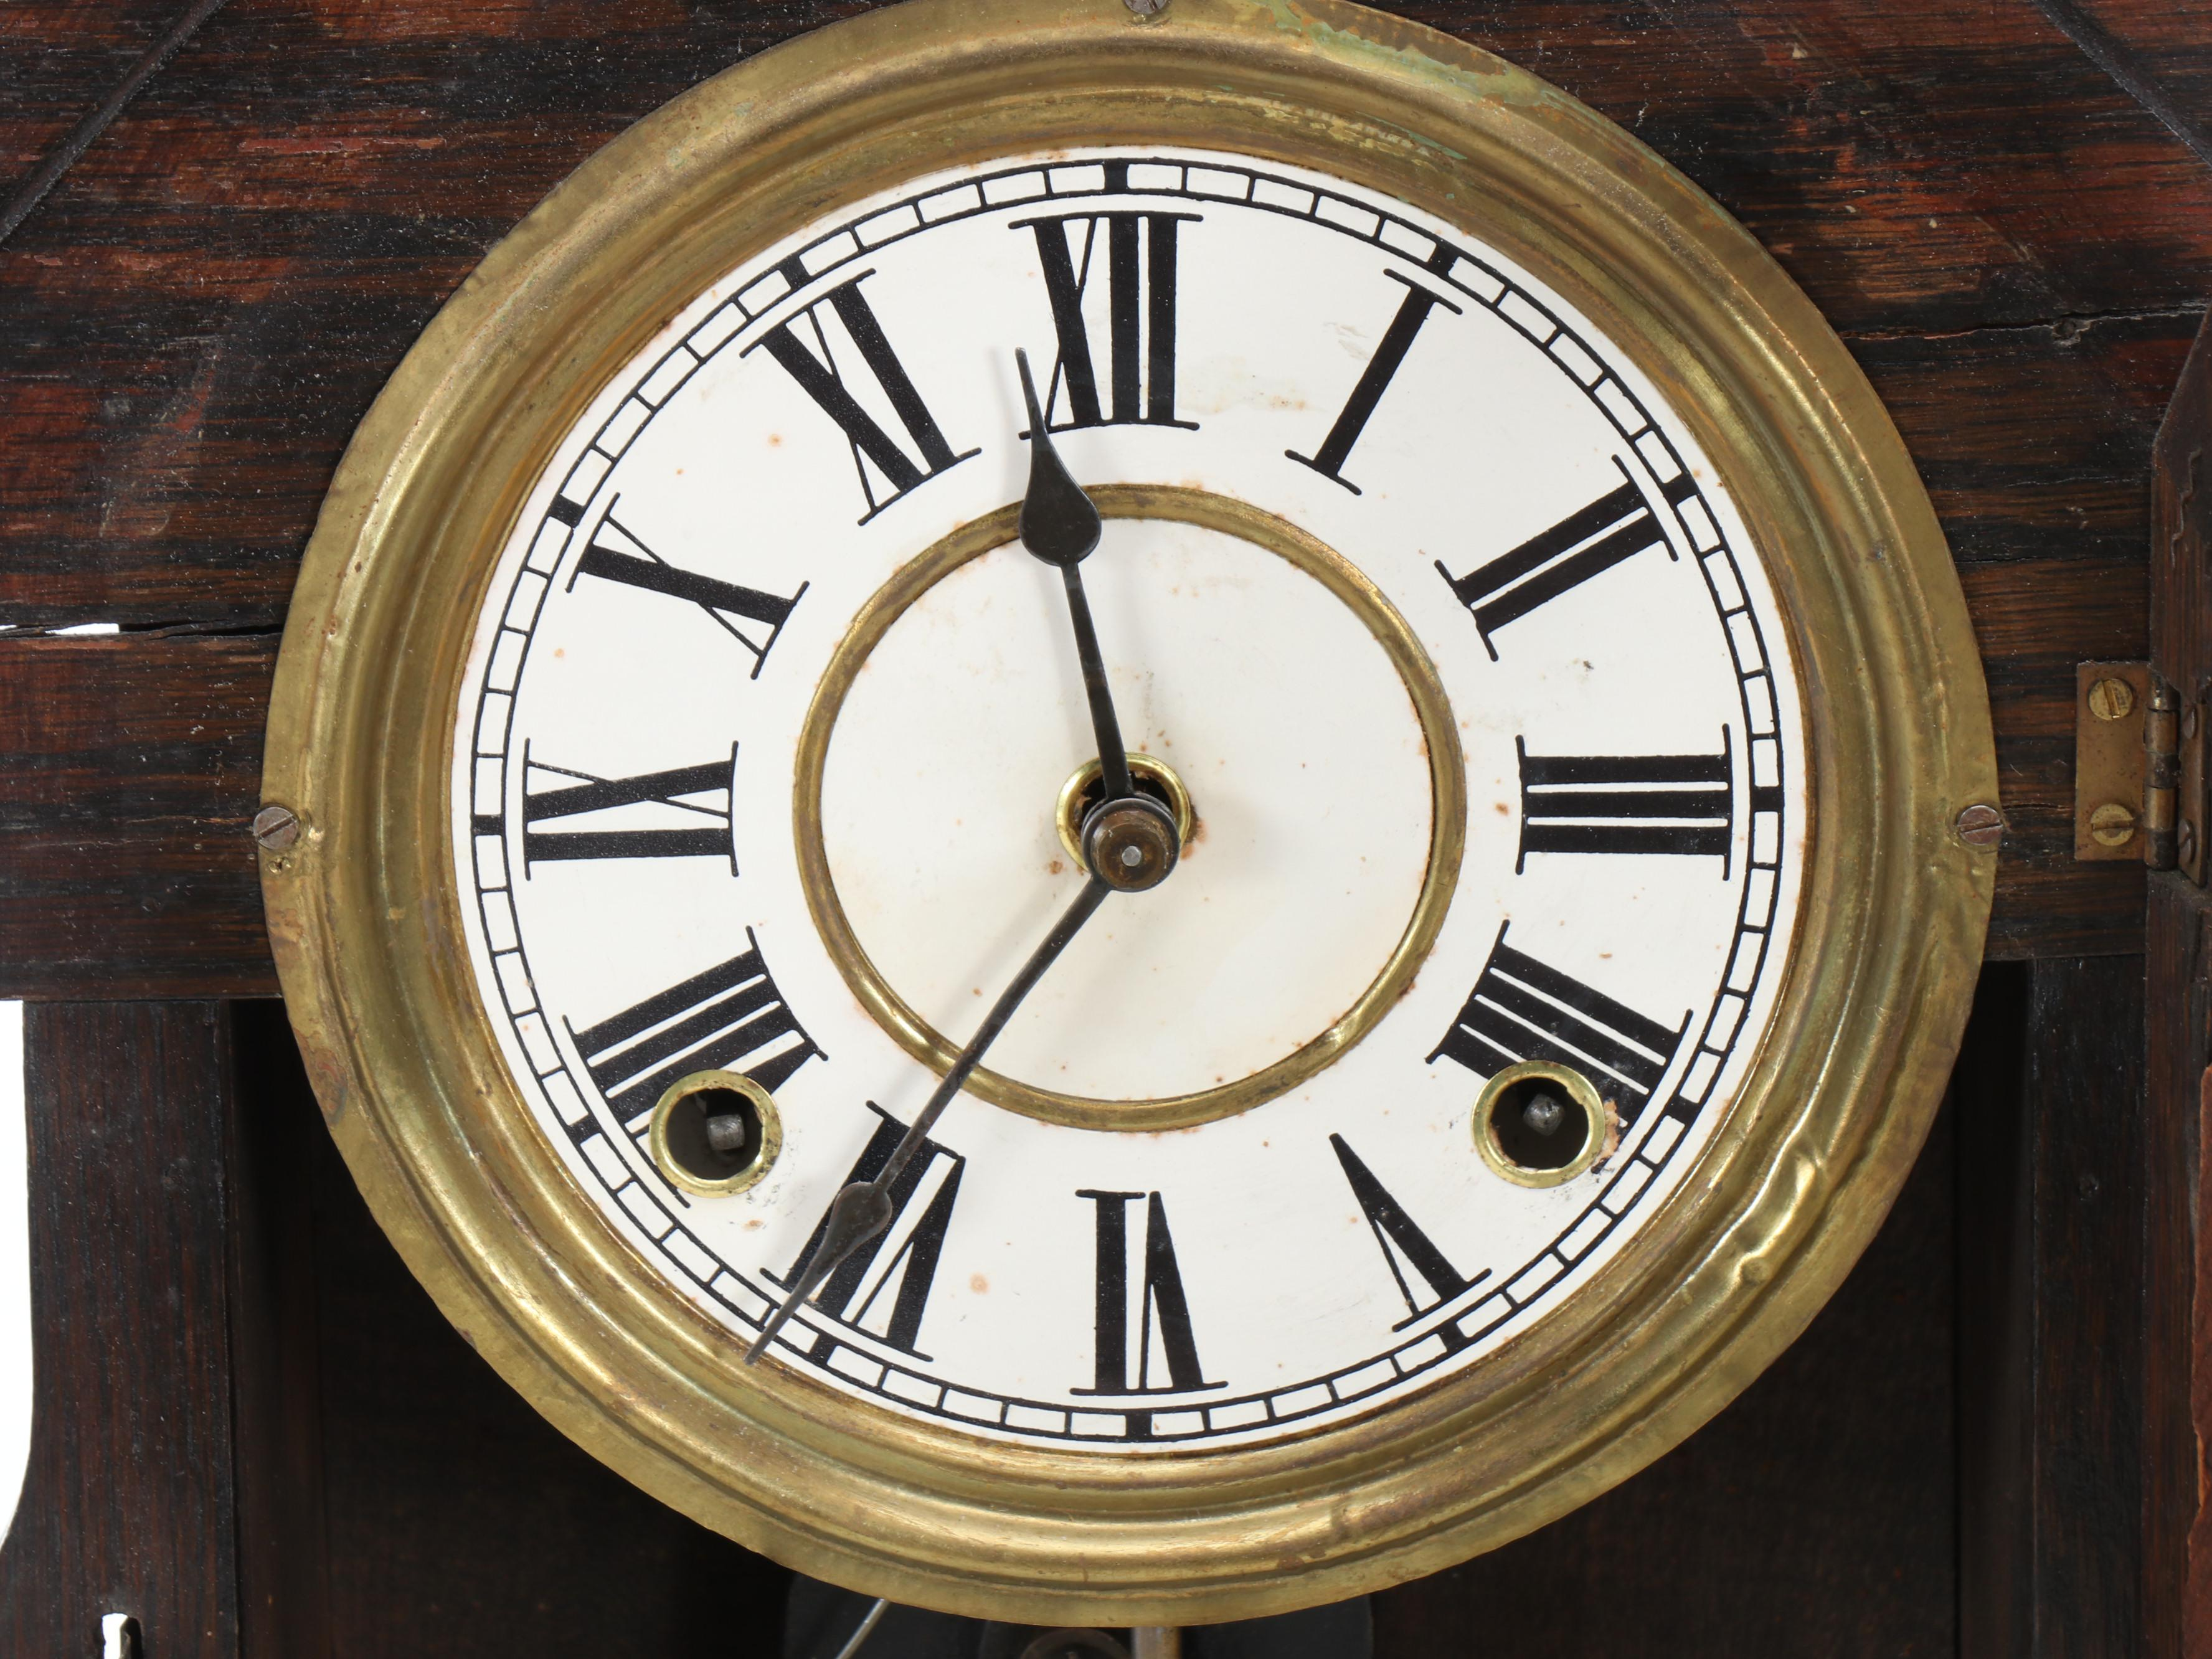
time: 11:35
